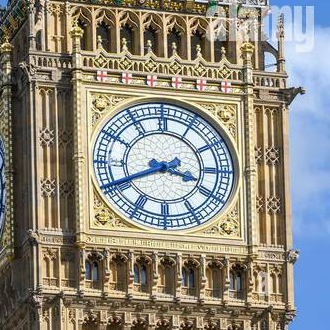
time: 3:40
